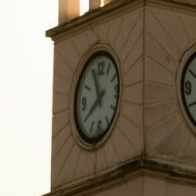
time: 7:55
